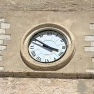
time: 3:50
